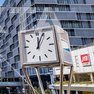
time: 12:04
